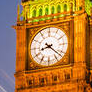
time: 8:21
